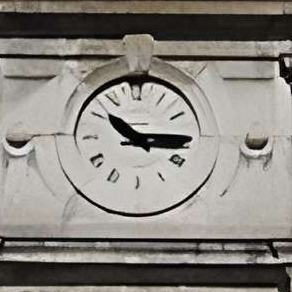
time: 10:15
